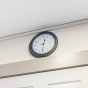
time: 12:31
